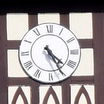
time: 4:25
